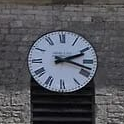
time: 2:18
